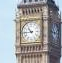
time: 10:45
